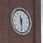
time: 11:29
